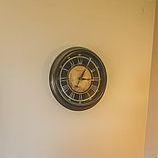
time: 3:05
